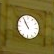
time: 10:55
